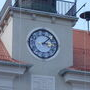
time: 3:08
